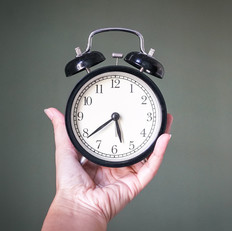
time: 5:38
